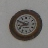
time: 8:49
